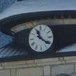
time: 11:21
